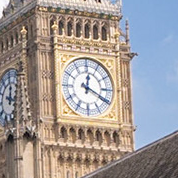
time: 12:19
